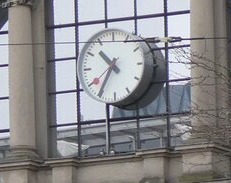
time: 10:35
